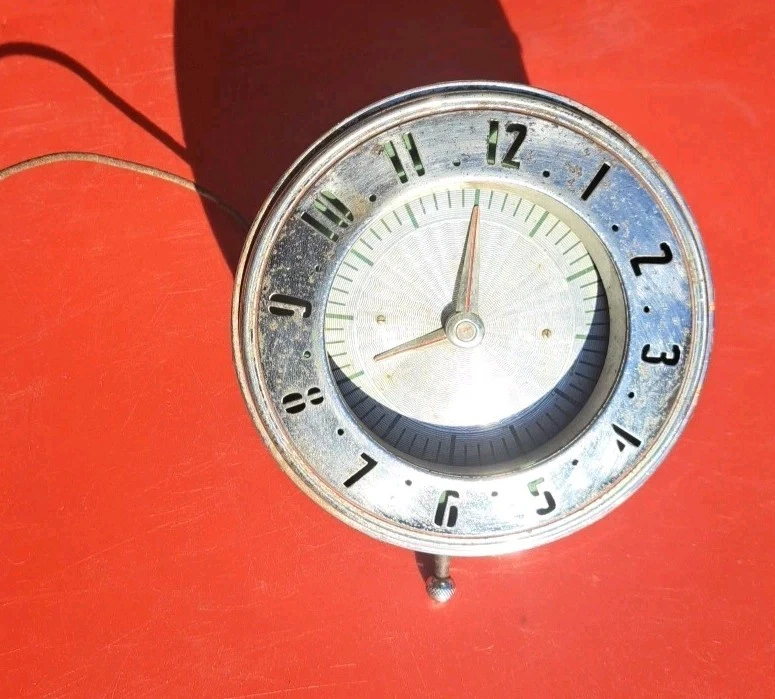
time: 7:59
